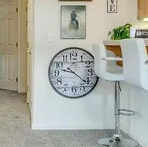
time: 9:21
